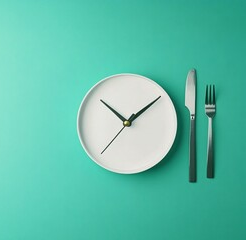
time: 10:07
